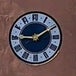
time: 9:10
